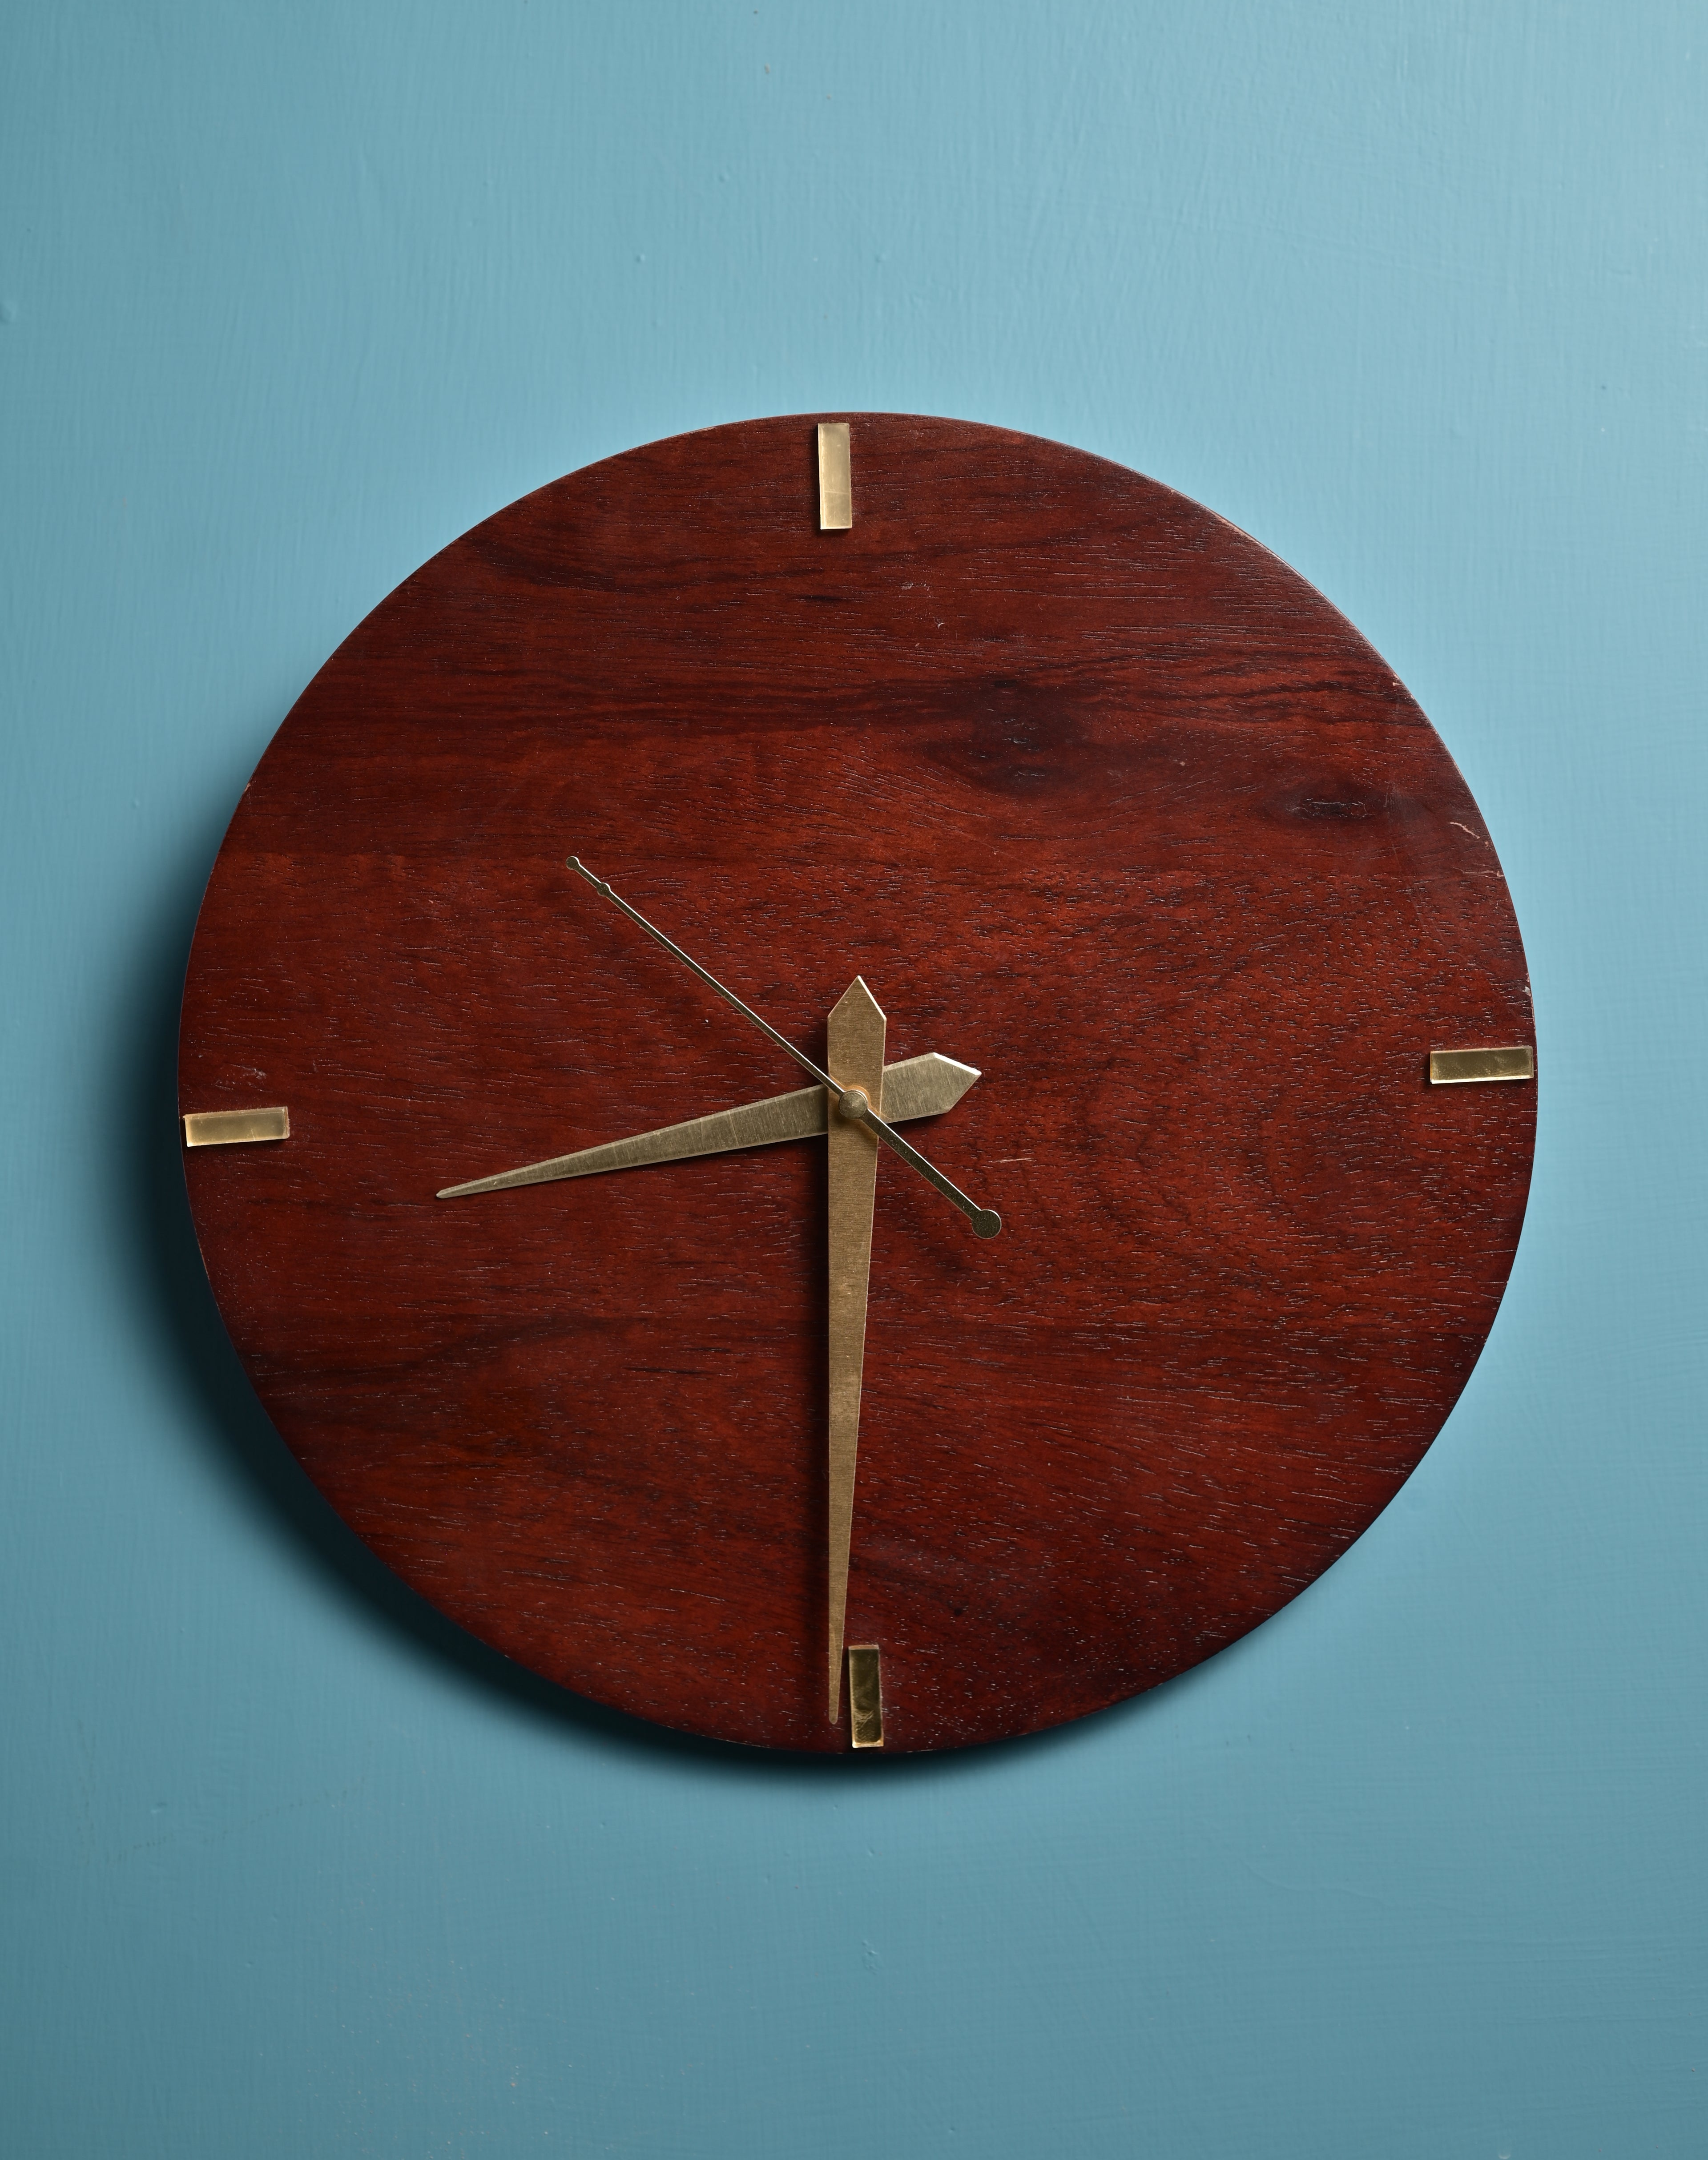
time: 8:30
